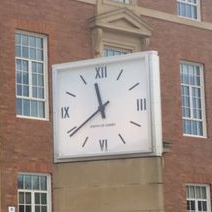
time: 11:39
